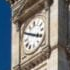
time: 3:50
